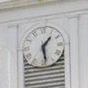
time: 1:28
